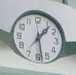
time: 1:28
